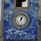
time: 12:04
